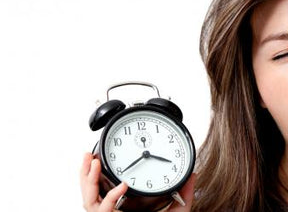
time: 3:39
